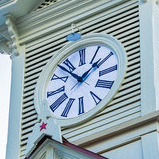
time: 1:53
